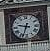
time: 9:33
